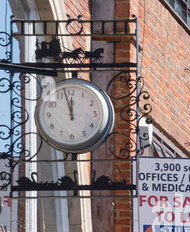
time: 11:57
